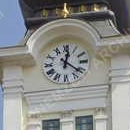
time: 12:21
